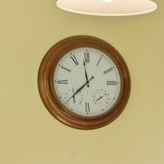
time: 11:37
